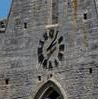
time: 2:06
